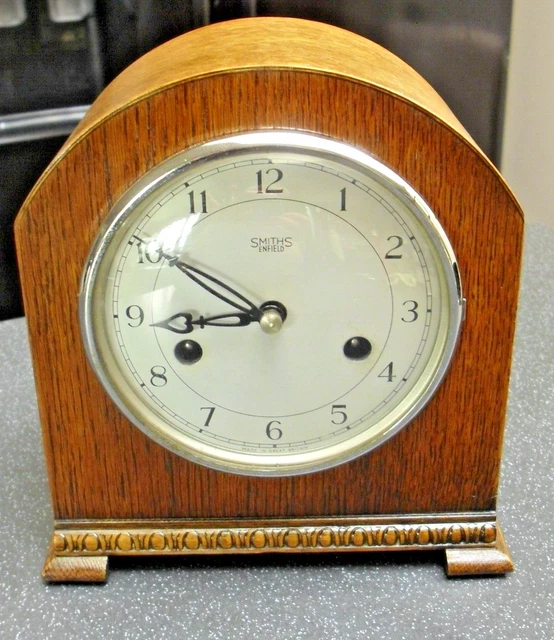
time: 8:50
